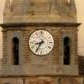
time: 8:35
